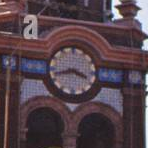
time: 3:42
